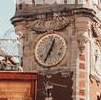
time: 12:34
